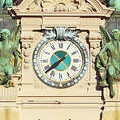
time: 7:38
